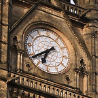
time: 6:39
